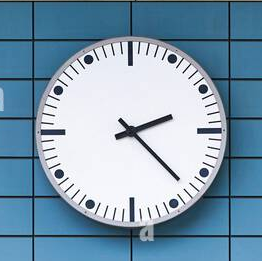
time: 2:22
